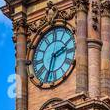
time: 2:33
